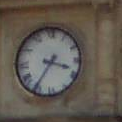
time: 3:35
